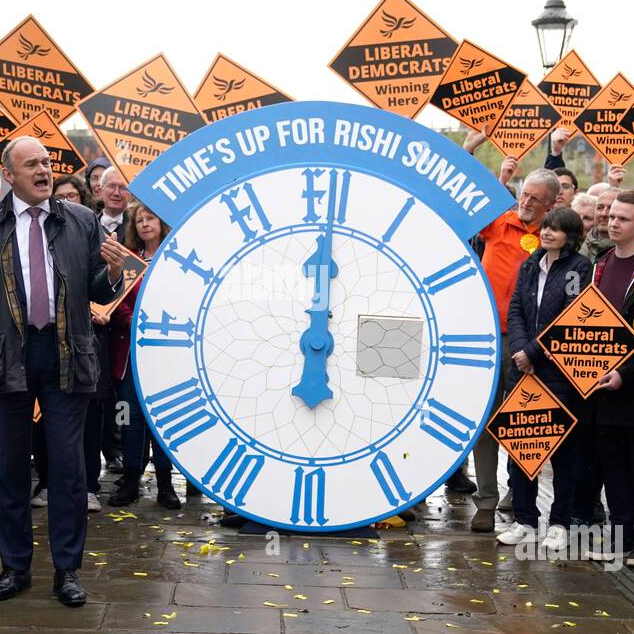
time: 6:00
